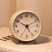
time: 4:49
